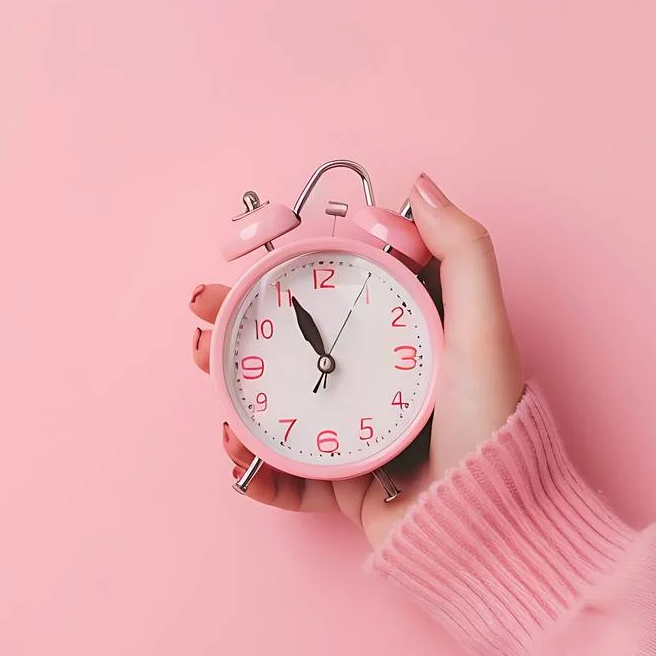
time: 10:55
